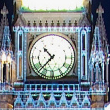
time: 10:37
